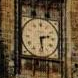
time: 2:28
